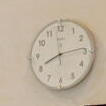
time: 8:13
